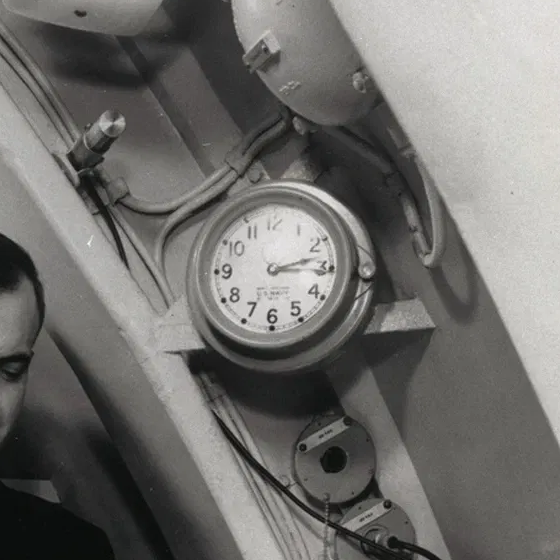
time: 3:12
